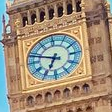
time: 6:48
